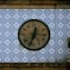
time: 12:33
